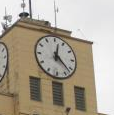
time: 12:22
